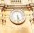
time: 5:30
